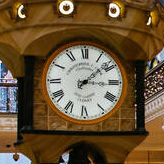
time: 3:08
